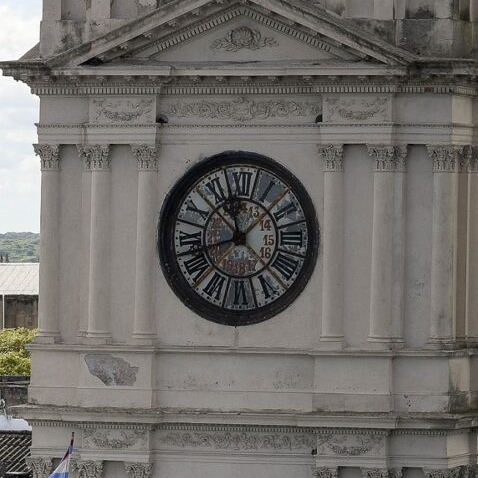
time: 11:42
